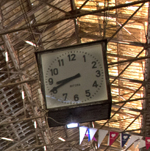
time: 8:40
